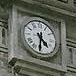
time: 4:31
